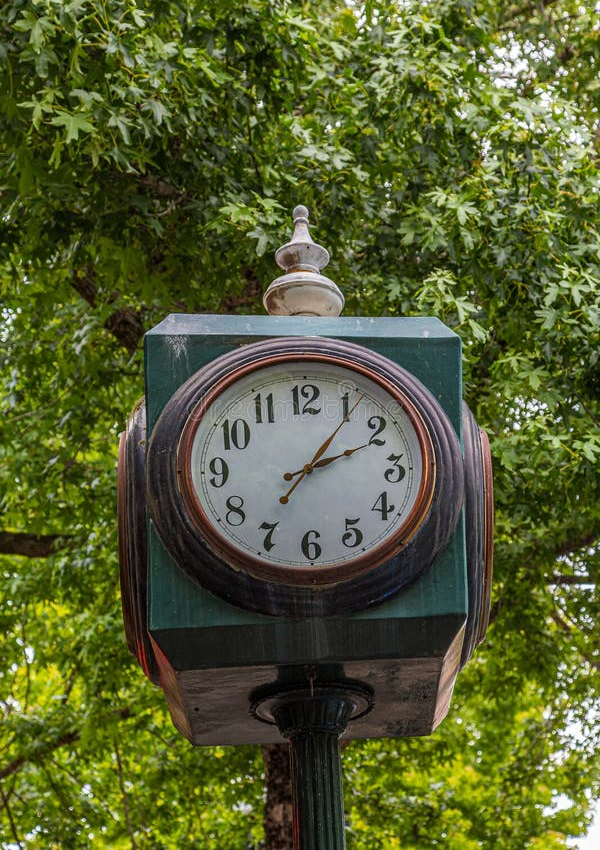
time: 2:06
